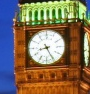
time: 8:25
